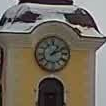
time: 1:11
